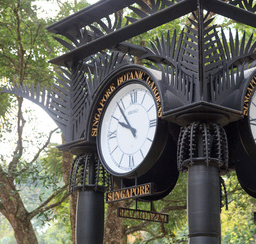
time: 9:53
